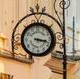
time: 3:17
